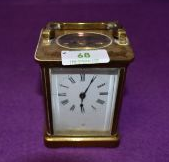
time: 6:05
